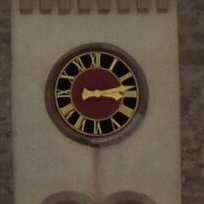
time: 3:13
